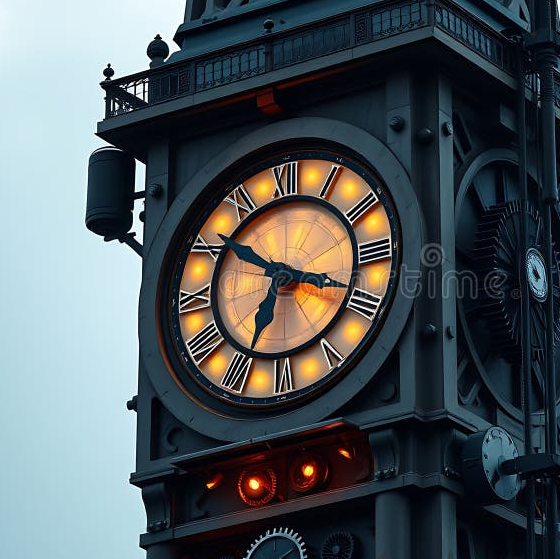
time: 6:50
